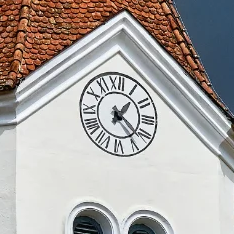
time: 1:23
